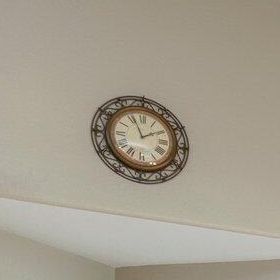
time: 1:56
